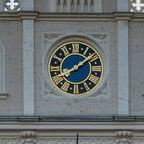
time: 8:09
